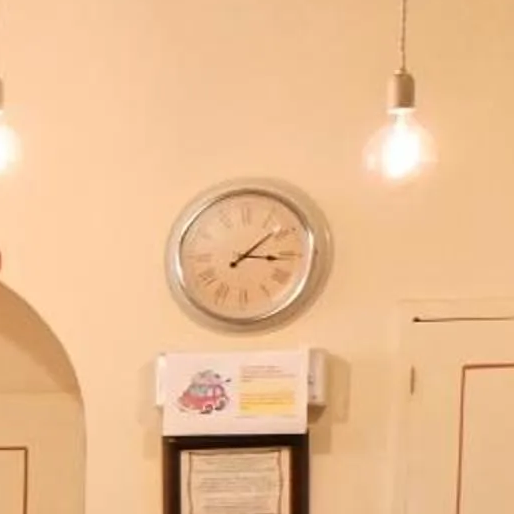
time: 3:08
